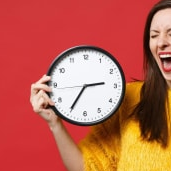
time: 2:35
